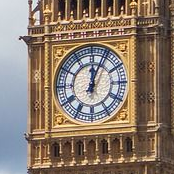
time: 12:04
